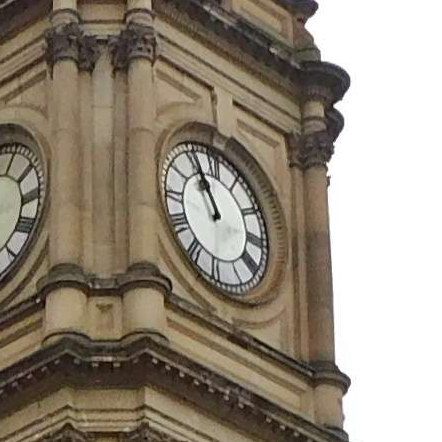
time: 10:55
